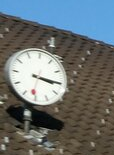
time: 3:15
